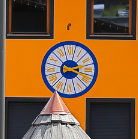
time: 2:18
